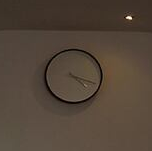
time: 4:18
